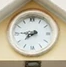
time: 7:45
